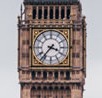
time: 3:36
